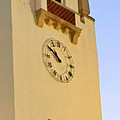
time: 10:50
